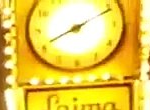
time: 8:10
